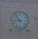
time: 8:53
